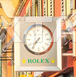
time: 7:36
